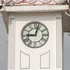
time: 9:02
